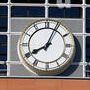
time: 8:04
